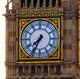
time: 7:34
